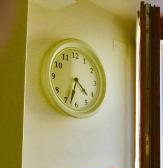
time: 4:33
